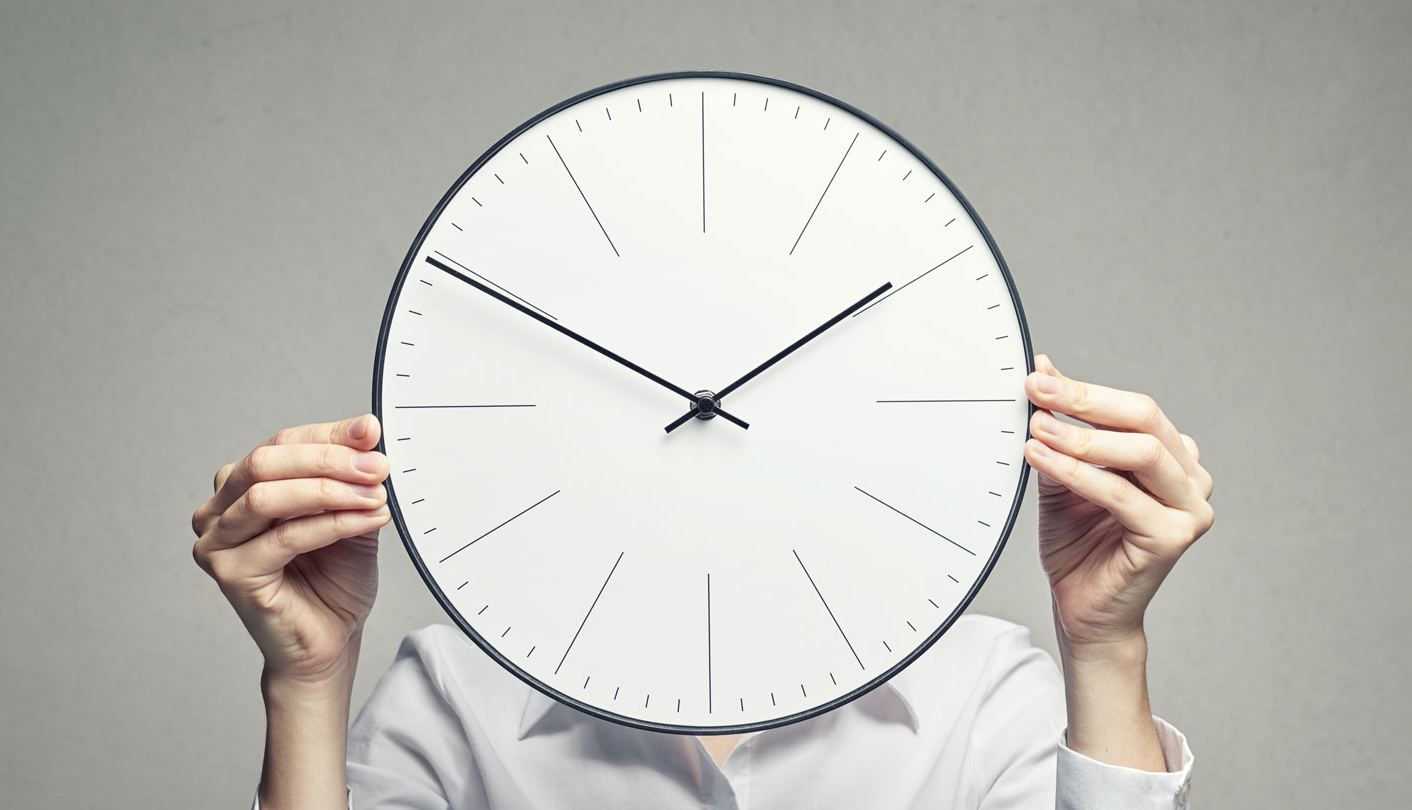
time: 1:50
